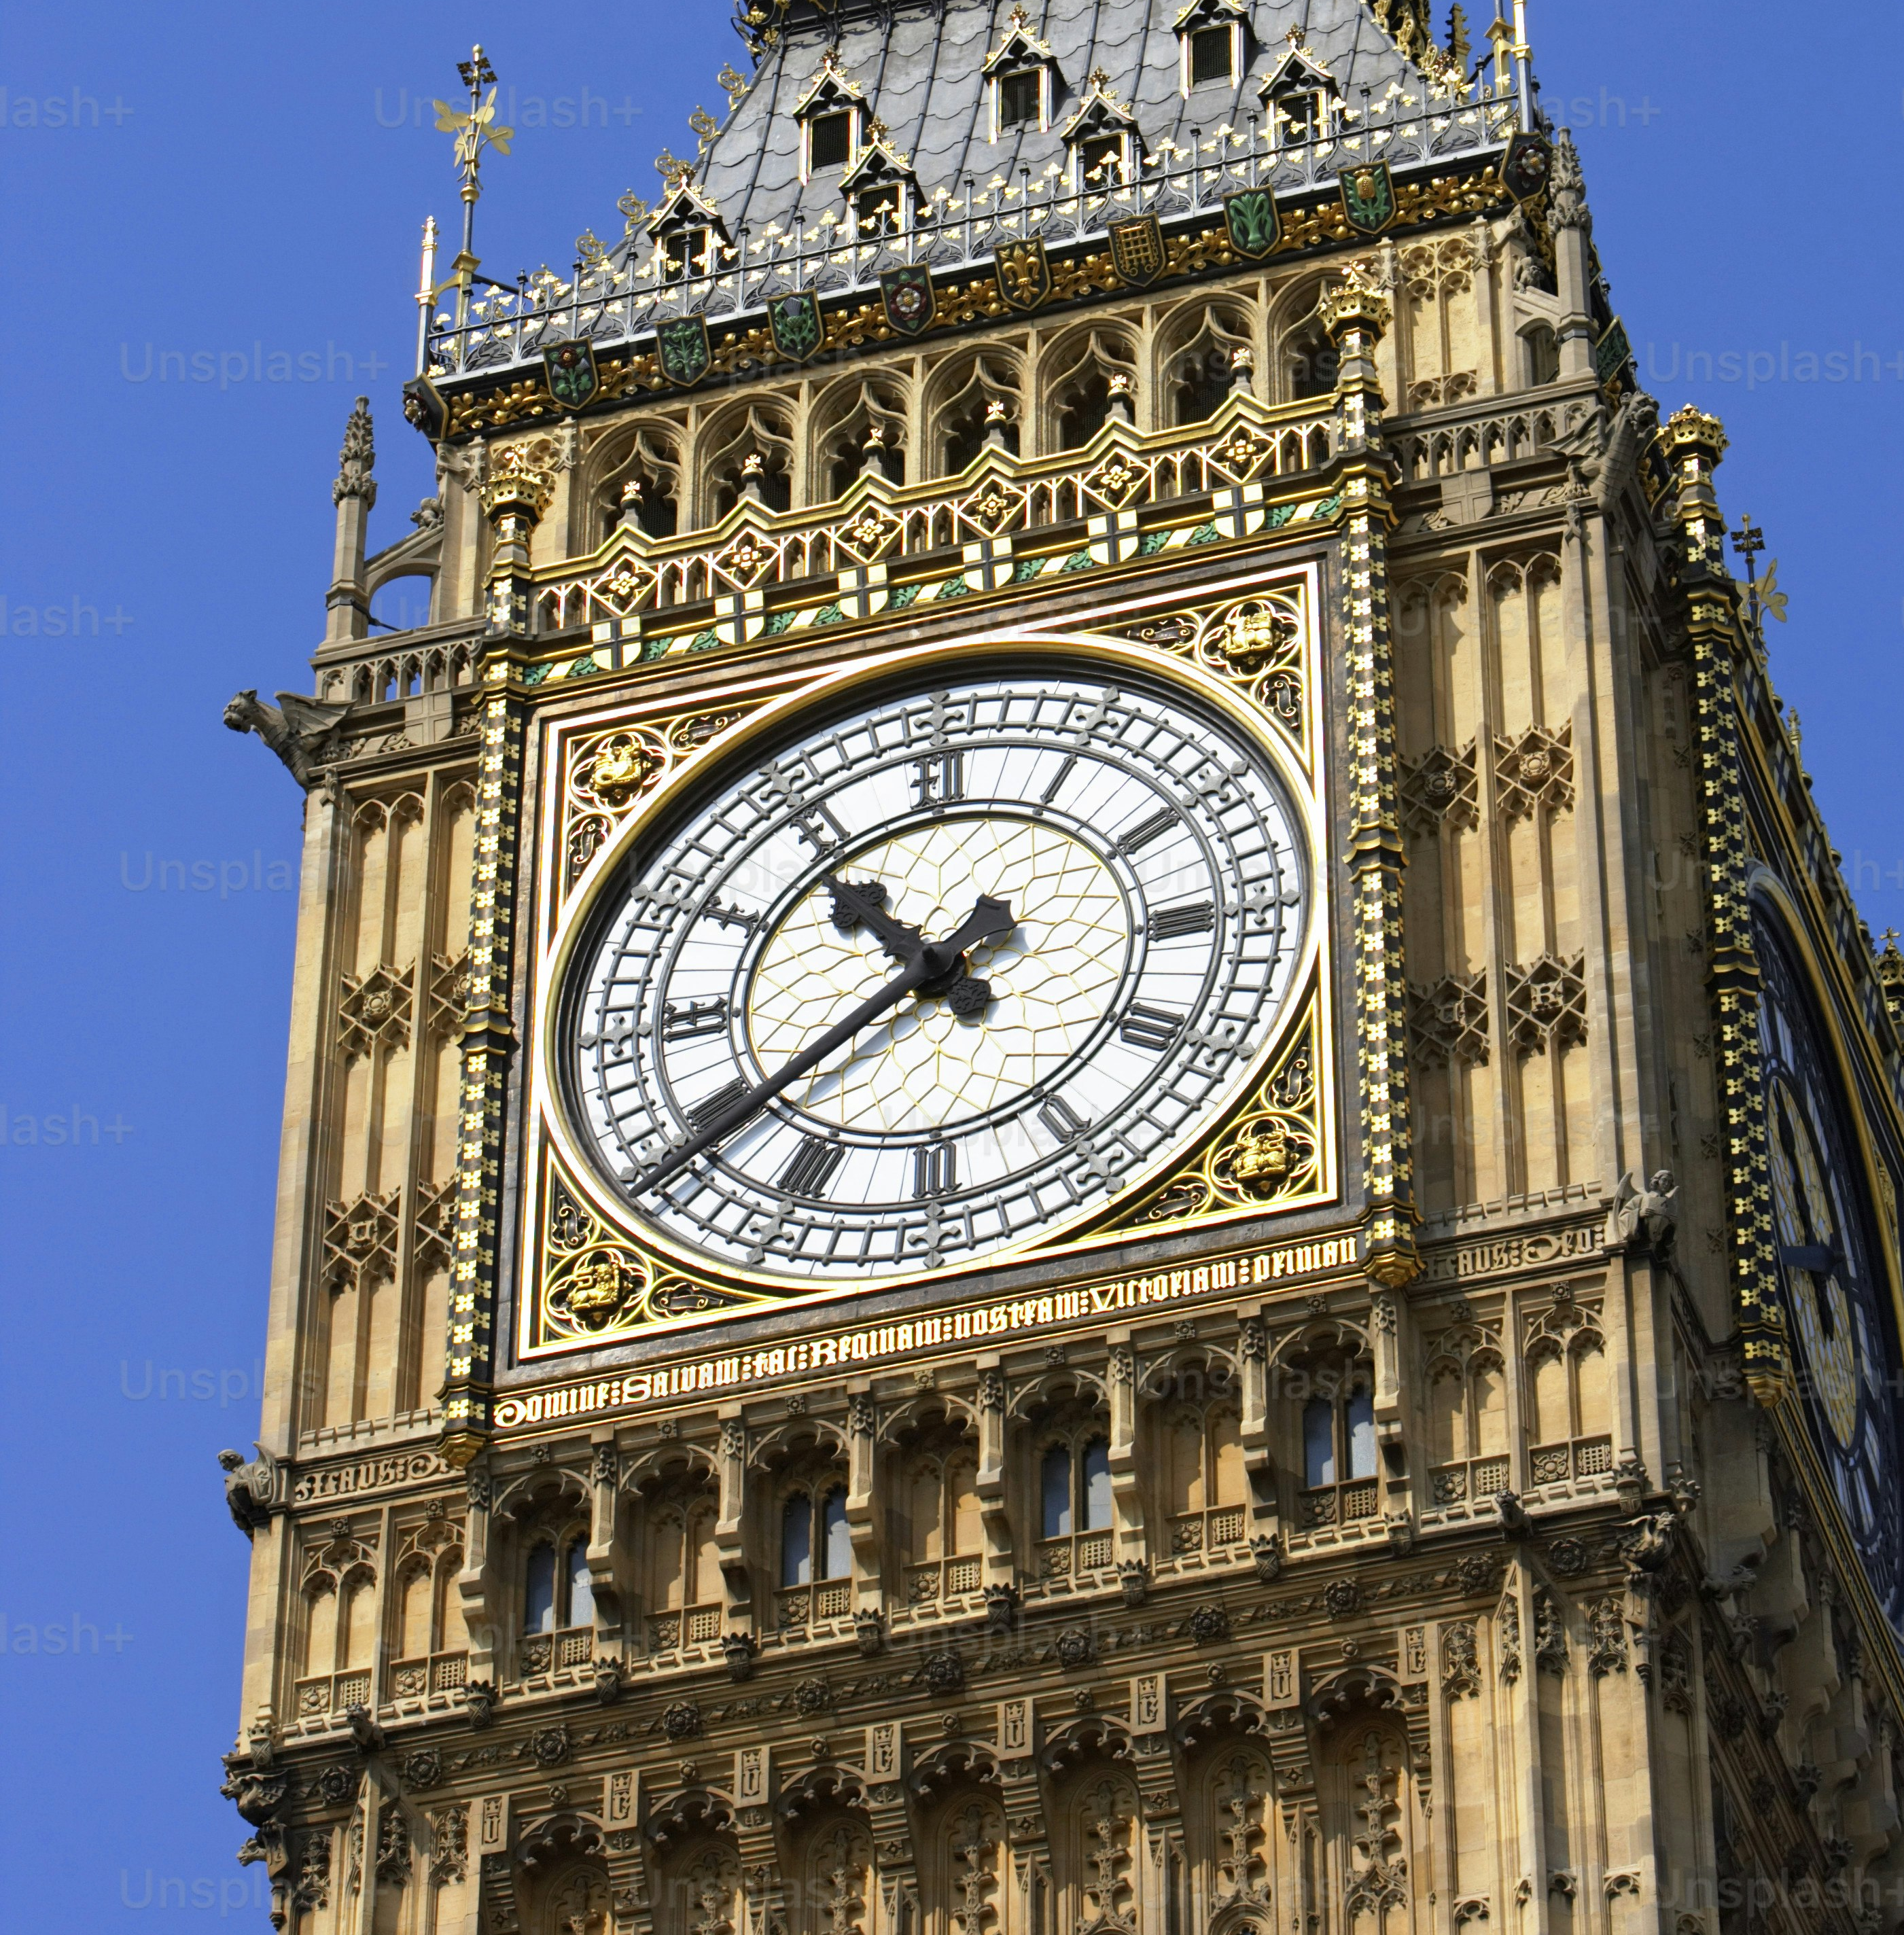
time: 10:39
